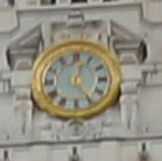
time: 12:24
